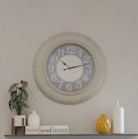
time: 10:12
